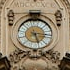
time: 5:15
